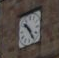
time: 10:24
